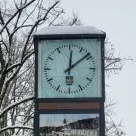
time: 12:08
